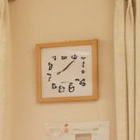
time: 8:07
